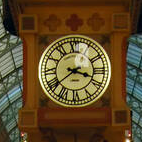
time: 3:39
